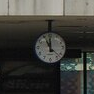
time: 10:59
